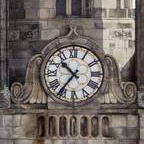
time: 10:36
